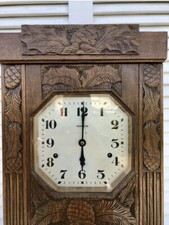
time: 6:00
